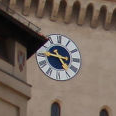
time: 4:46
